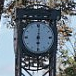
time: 6:01
